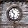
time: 10:32
